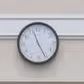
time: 11:25
